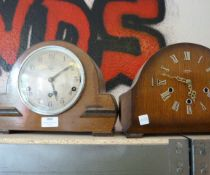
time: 5:09
